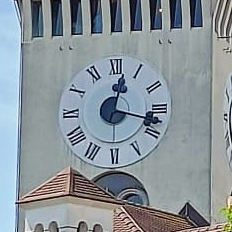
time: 12:17
